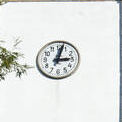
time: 3:02
